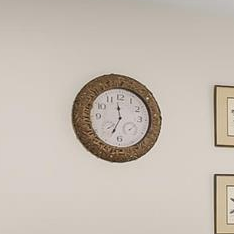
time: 11:34
